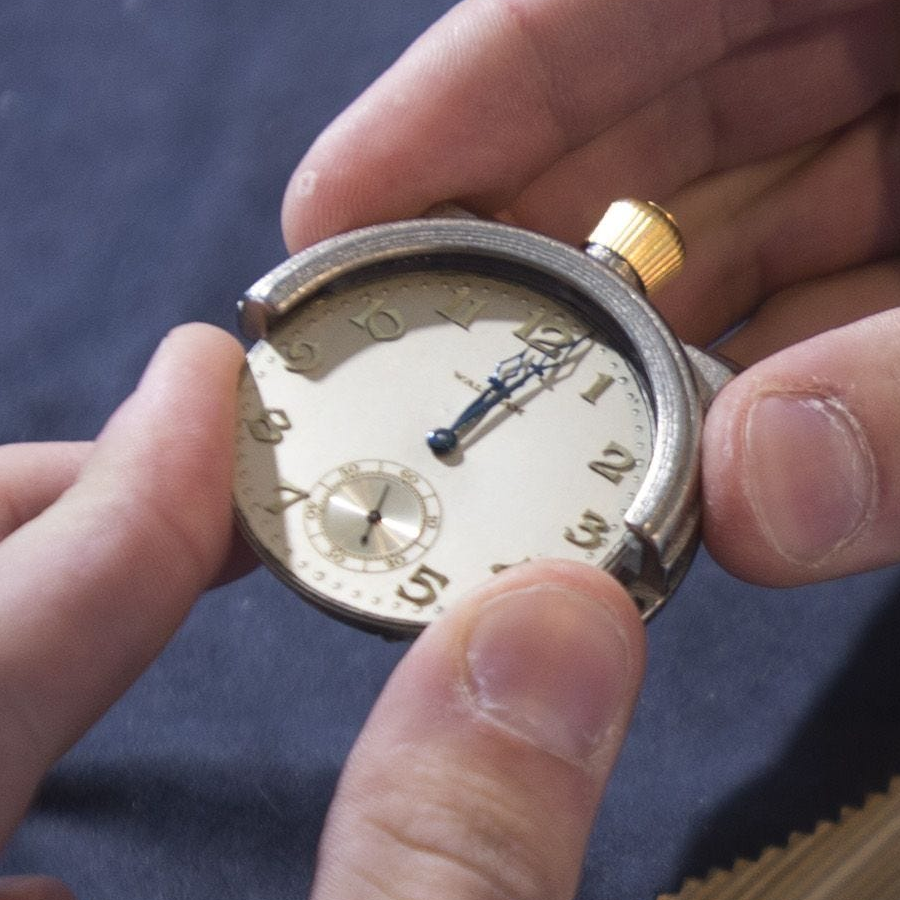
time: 1:08
